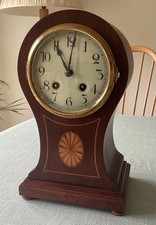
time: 11:01
